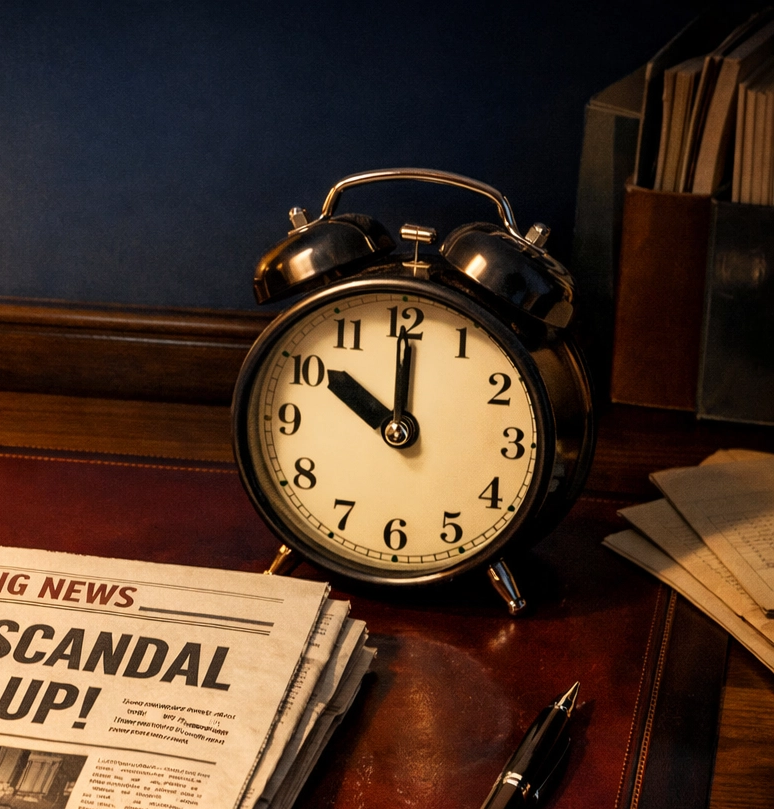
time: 10:00
